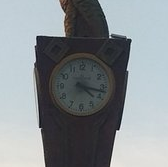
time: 4:17
